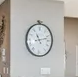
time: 11:12
